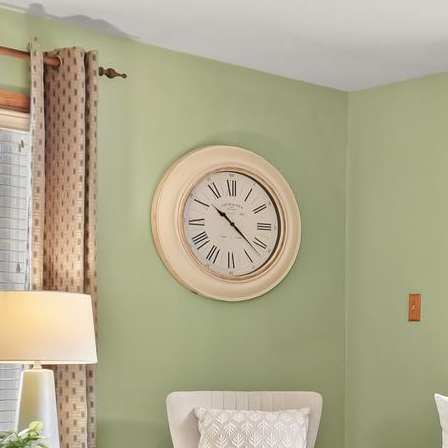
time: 10:21
